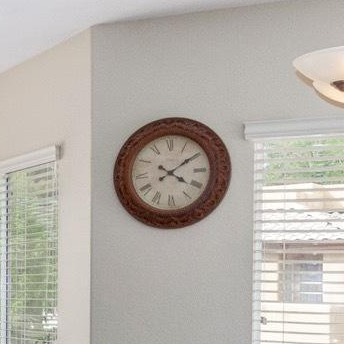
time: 4:09
